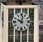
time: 10:02
